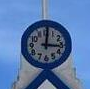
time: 3:00
